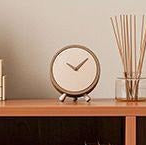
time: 10:07
